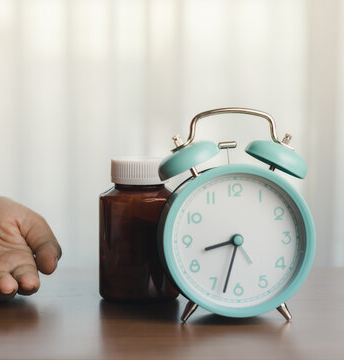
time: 8:33
